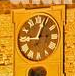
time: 9:03
